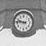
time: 9:45
